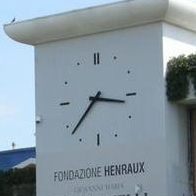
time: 3:37
